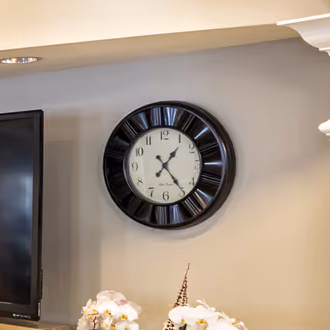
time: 1:23
